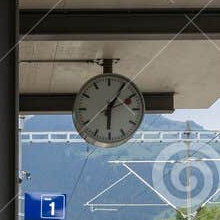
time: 6:05
